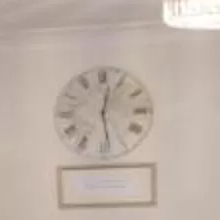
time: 12:28
